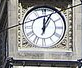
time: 12:04
